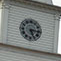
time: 5:15
